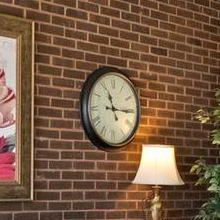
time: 11:15
